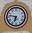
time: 6:47
